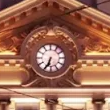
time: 6:34
